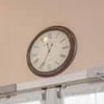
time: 11:34
